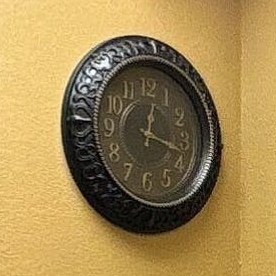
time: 12:17
